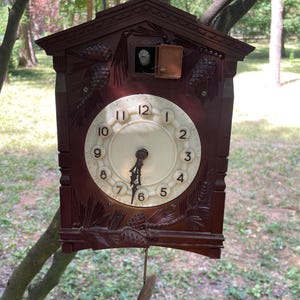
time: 6:31
